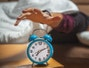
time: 7:11
